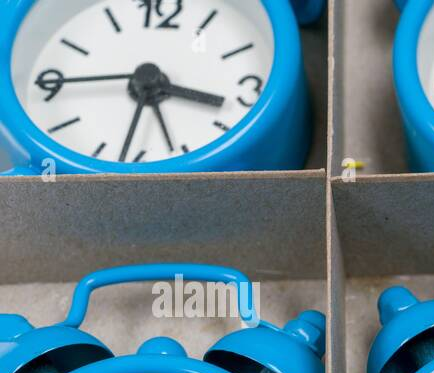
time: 3:26
